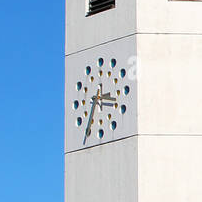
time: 3:35
